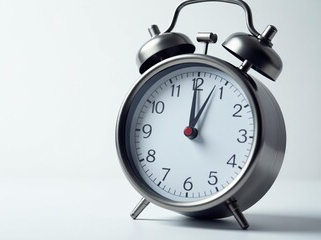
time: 12:03
